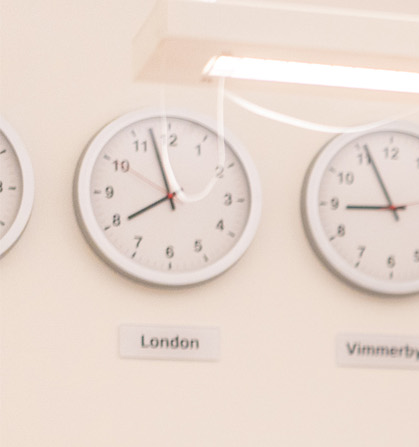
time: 7:57
